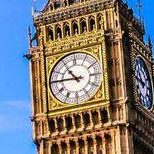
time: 10:45
